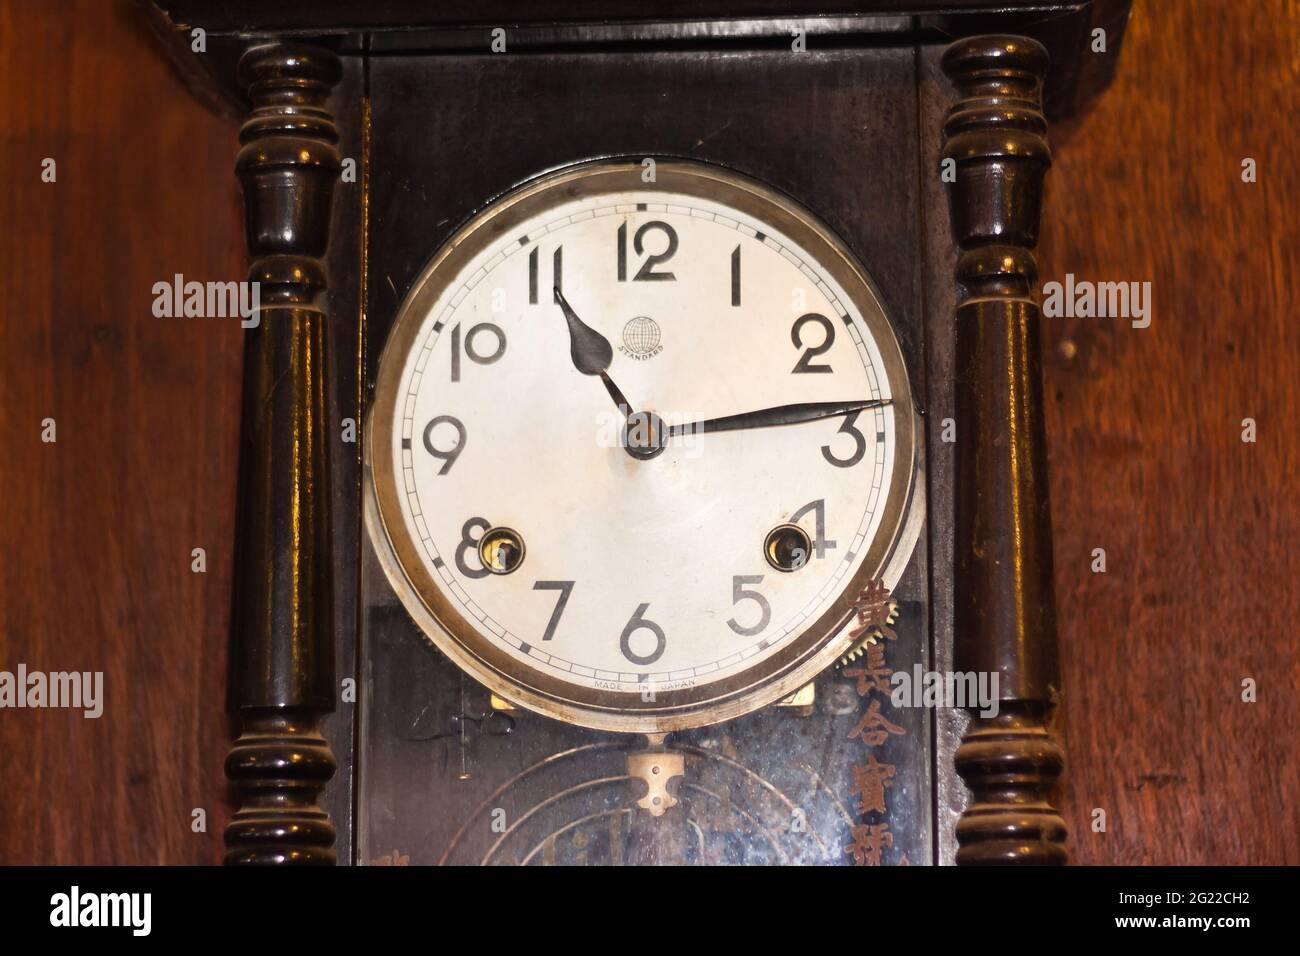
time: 11:13
